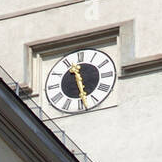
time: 11:28
